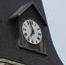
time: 6:57
